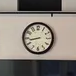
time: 8:42
